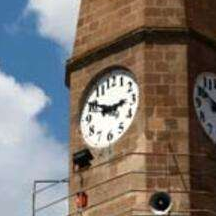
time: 2:49
